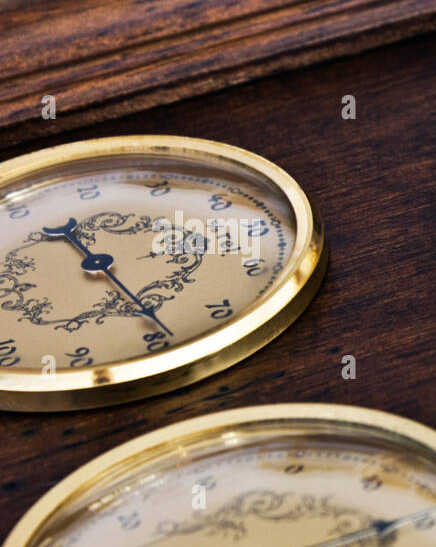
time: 11:24
